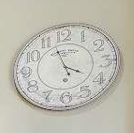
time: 3:56
